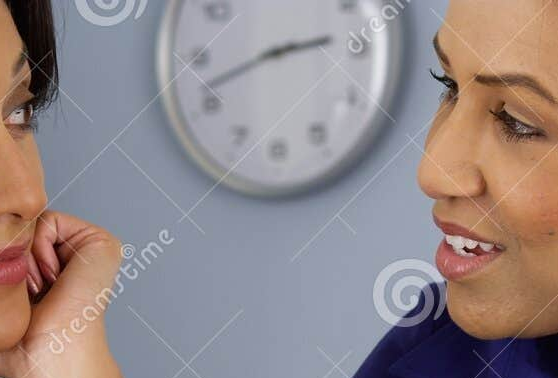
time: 2:41
